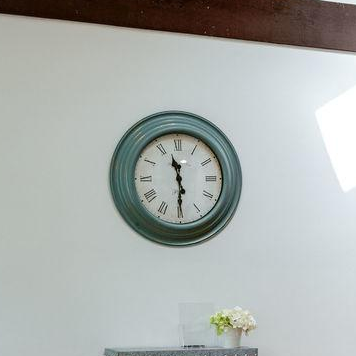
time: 11:29
